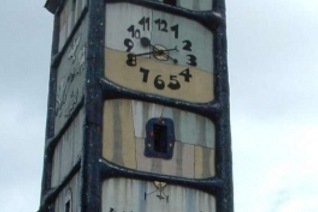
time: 9:41
